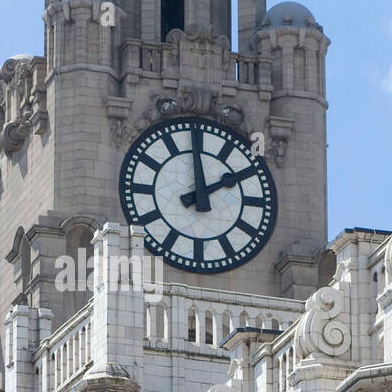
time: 1:59
